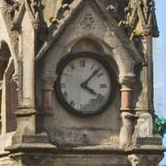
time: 4:07
